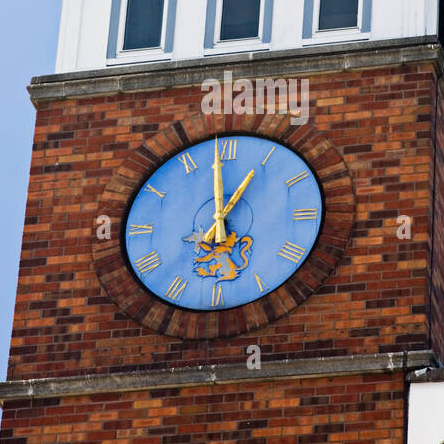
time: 4:58
